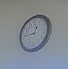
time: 12:44
